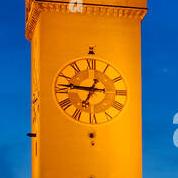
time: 6:46
